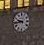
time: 9:43
